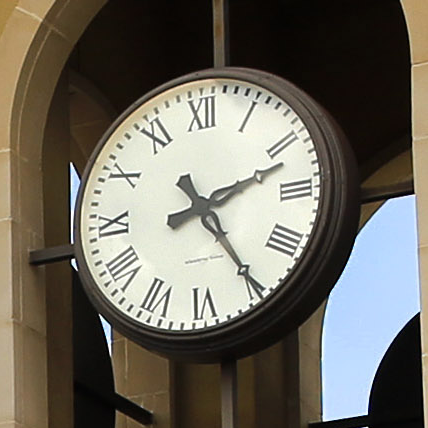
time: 2:24
